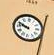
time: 9:48
